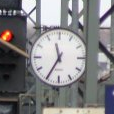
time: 11:34
